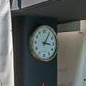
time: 3:05
